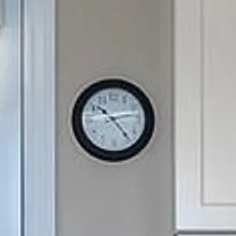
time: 10:23
